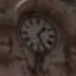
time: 1:26
